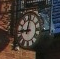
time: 9:01
